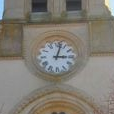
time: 3:02
